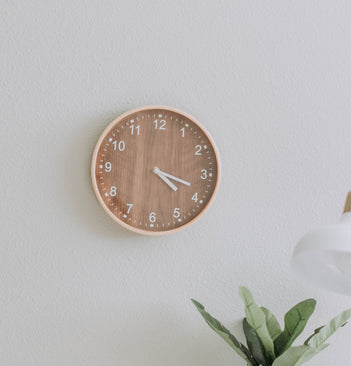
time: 4:18
